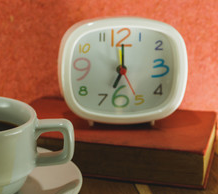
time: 7:00
